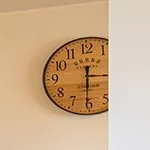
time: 12:30
